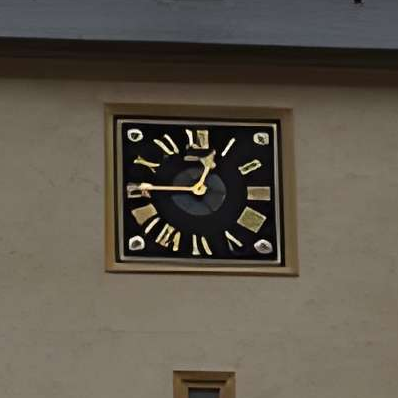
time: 12:45
